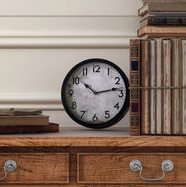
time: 10:13
